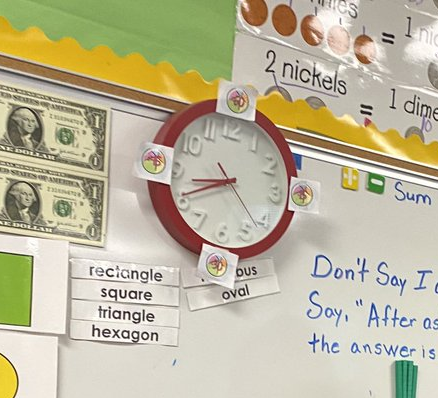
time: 8:40
